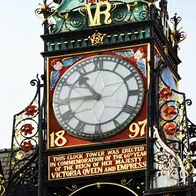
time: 10:45
